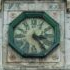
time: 3:23
